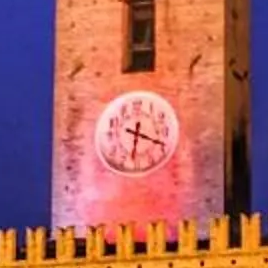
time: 6:18
